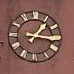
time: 1:16
